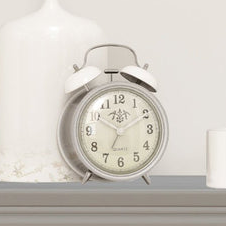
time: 12:10
